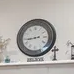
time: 8:43
